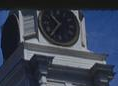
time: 10:36
